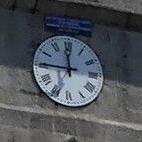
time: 11:45
